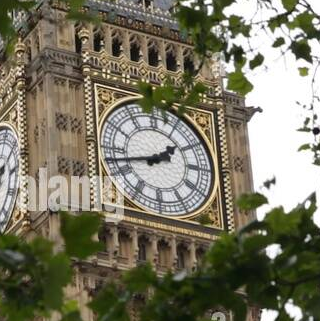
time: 1:42
